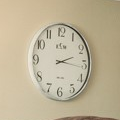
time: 2:16
